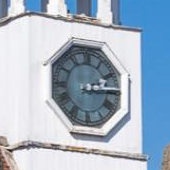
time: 2:14
